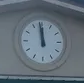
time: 11:58
